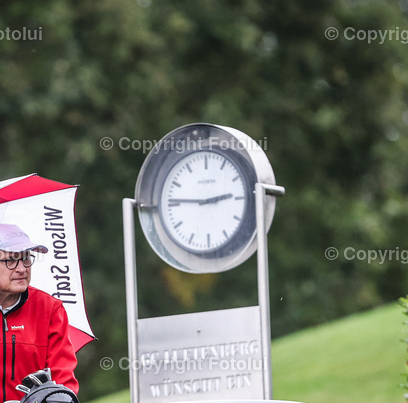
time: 2:45
